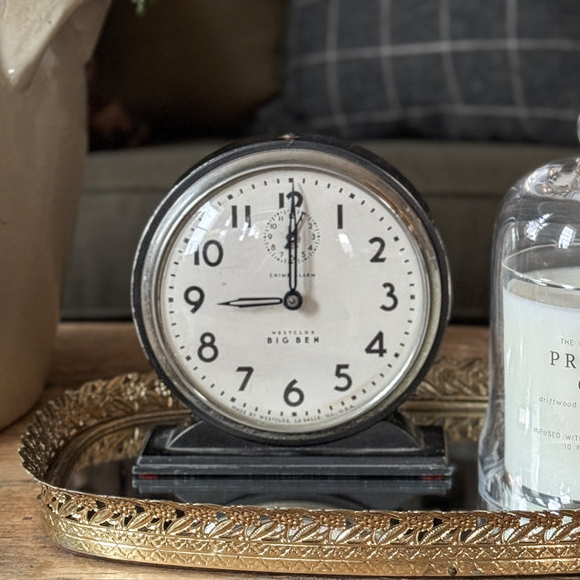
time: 9:00
